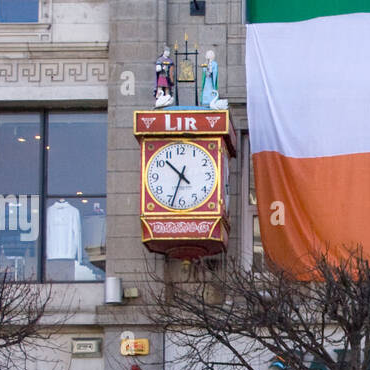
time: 10:33
